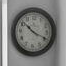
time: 10:18
